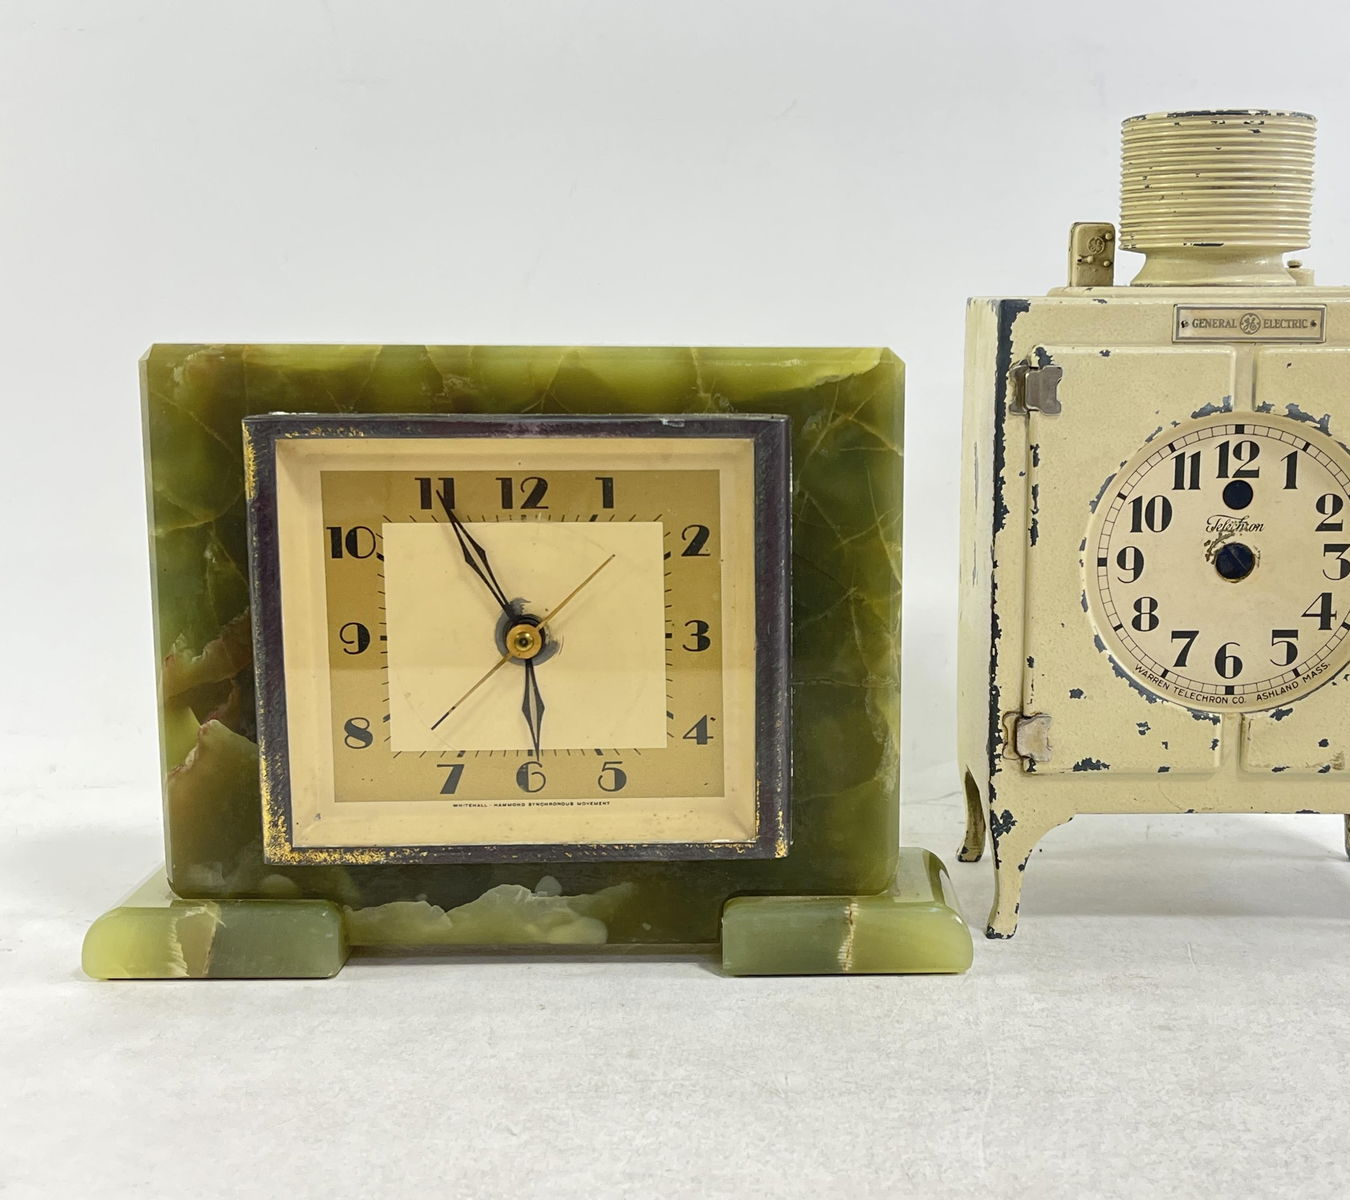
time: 5:55
